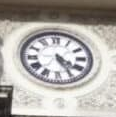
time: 4:25
